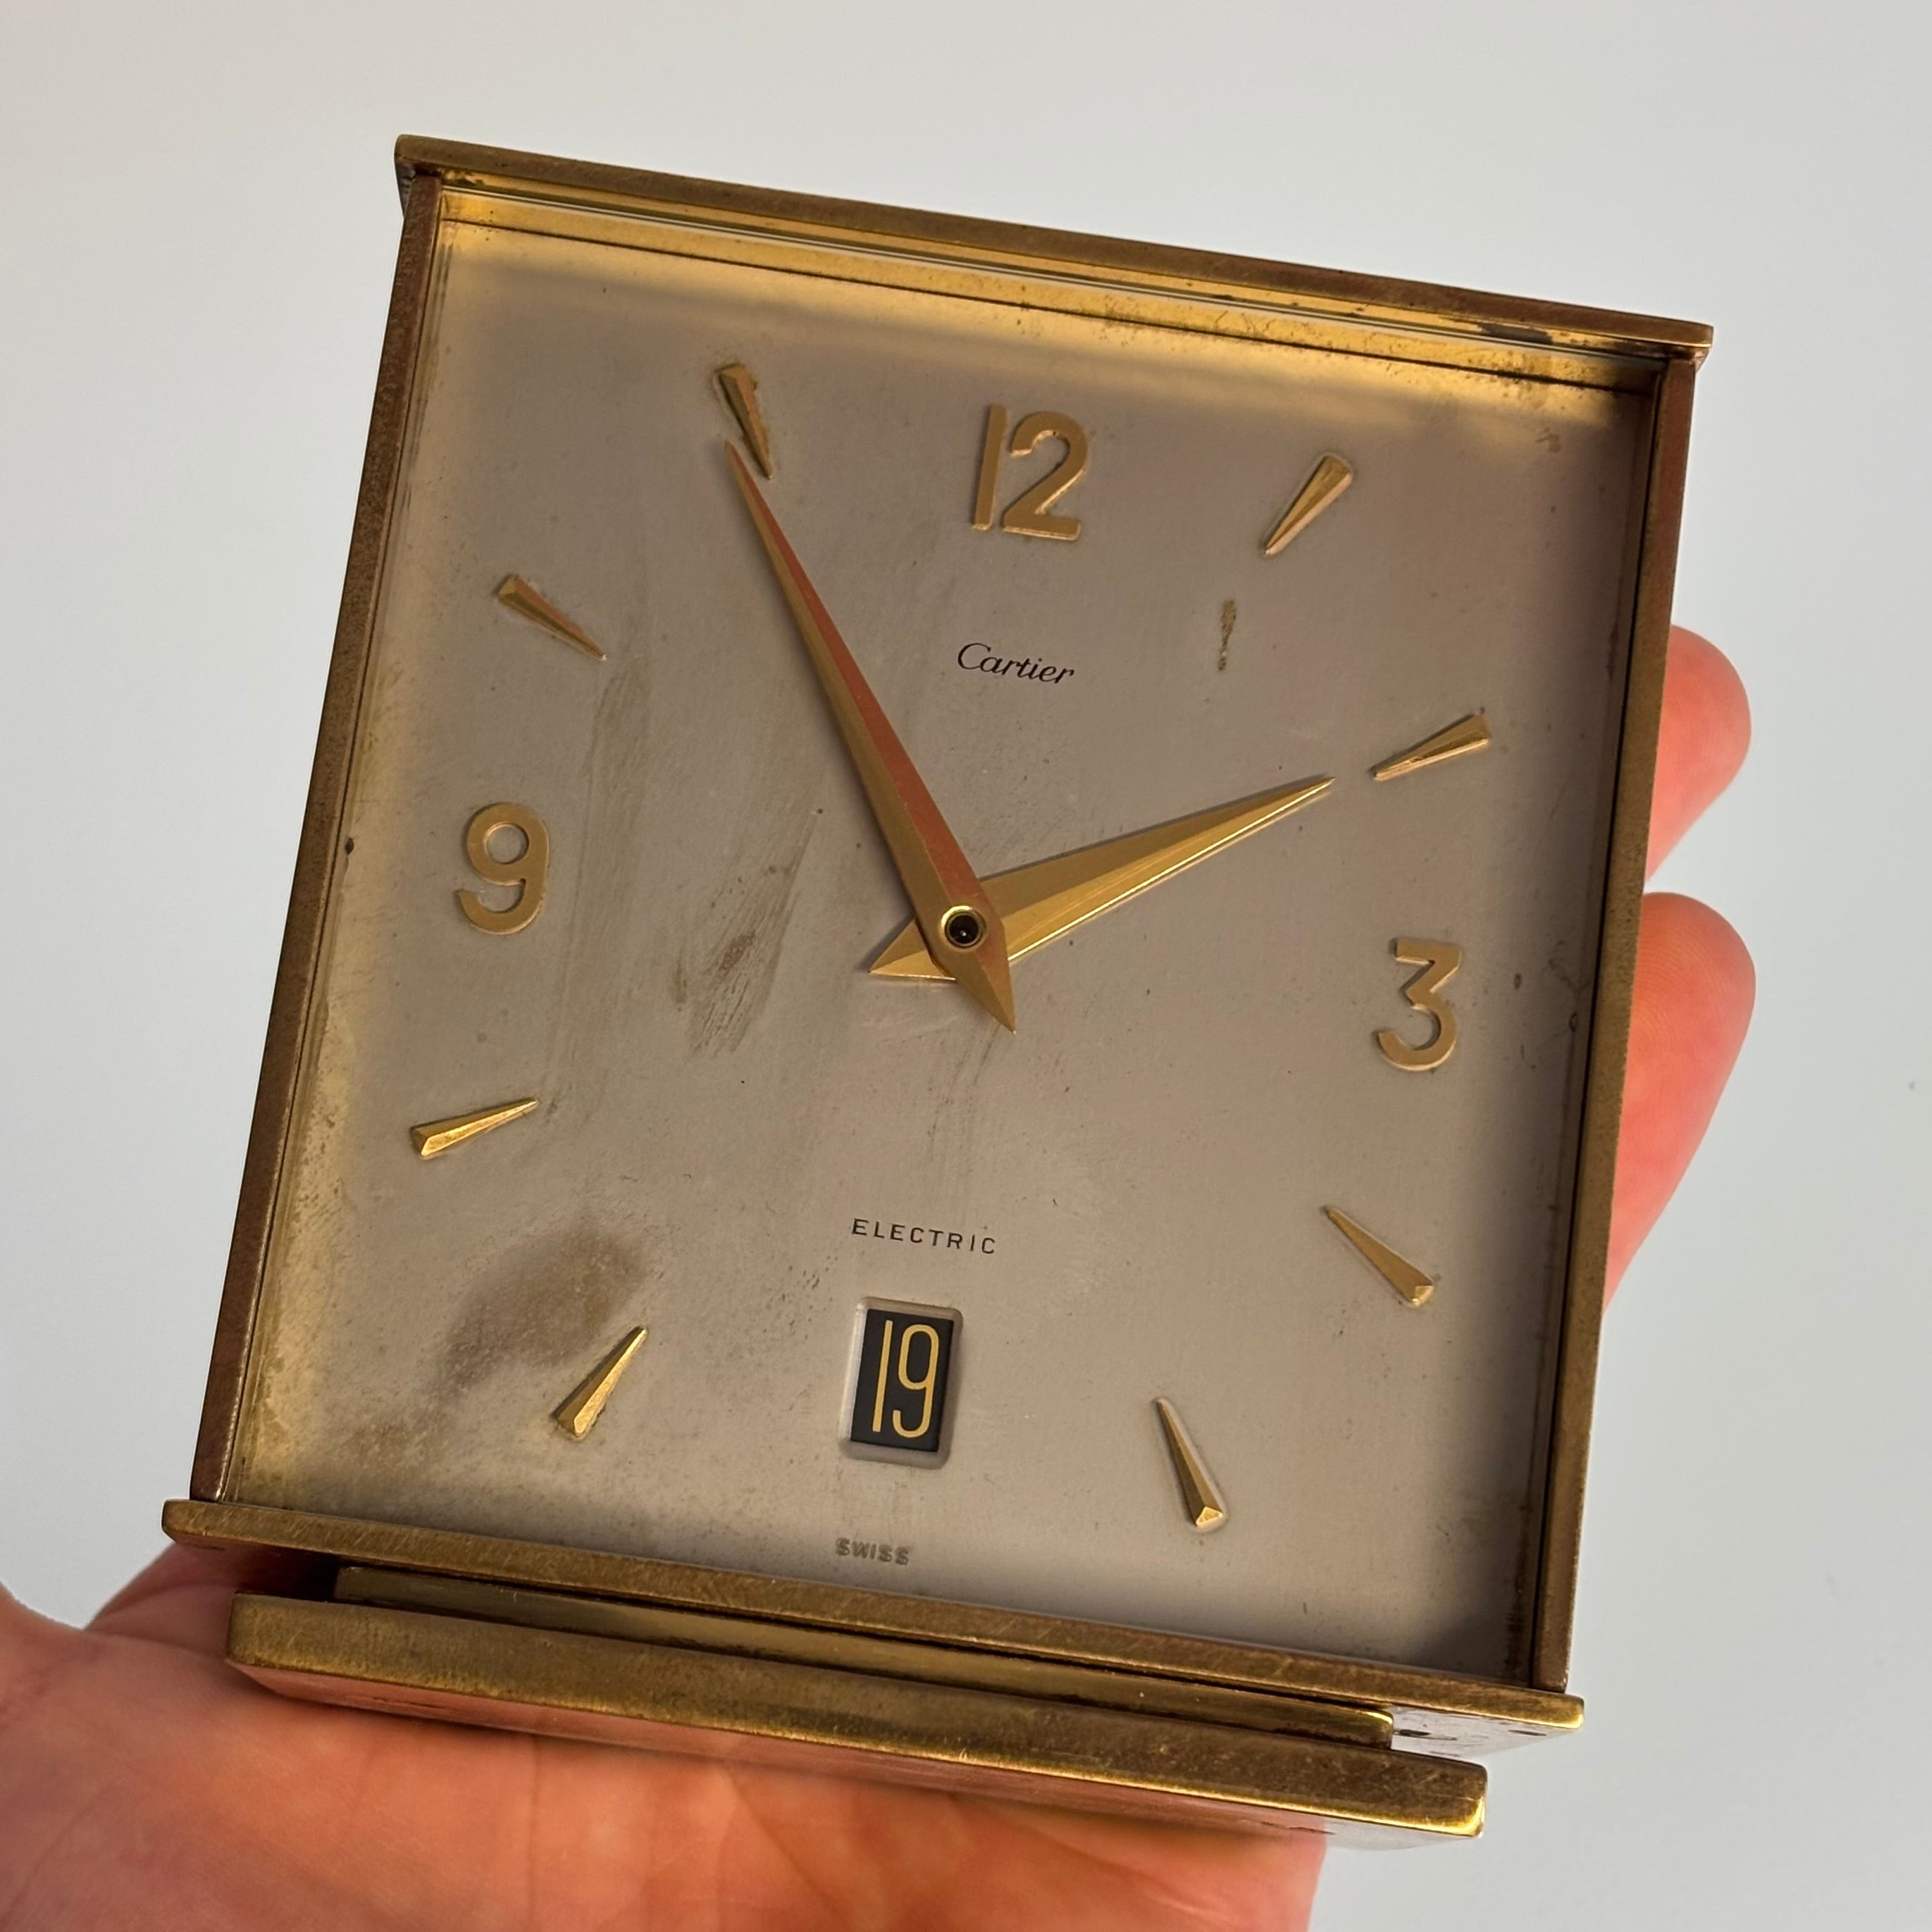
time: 1:54
